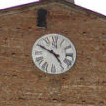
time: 4:49
